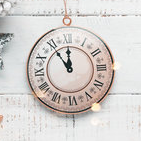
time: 11:54
